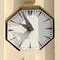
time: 9:55
